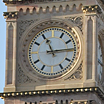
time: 11:13
